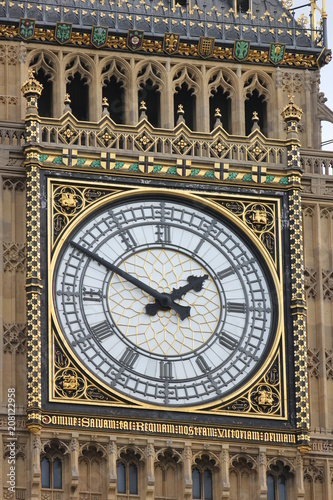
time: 1:50
